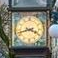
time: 3:42
